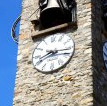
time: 8:16
